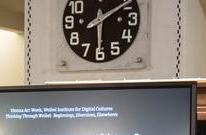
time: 6:10
